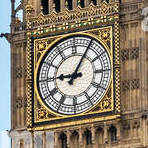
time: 9:05
